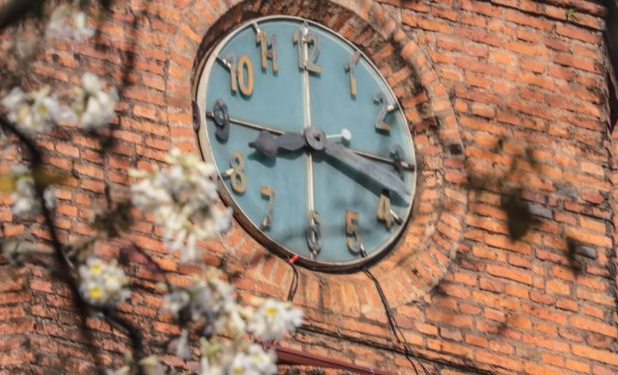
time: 8:18
